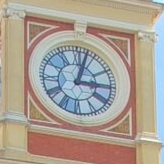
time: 3:02
